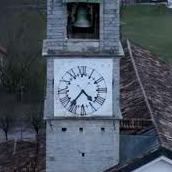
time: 4:36
